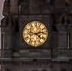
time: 4:13
